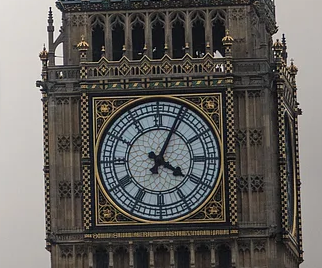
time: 4:04
